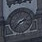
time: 2:36
